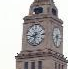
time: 8:32
